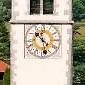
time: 10:28
